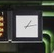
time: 1:13
